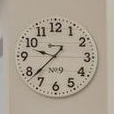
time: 9:37
